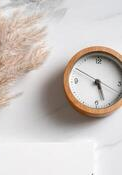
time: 5:26
